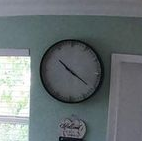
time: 10:20
